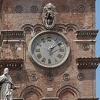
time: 6:08
